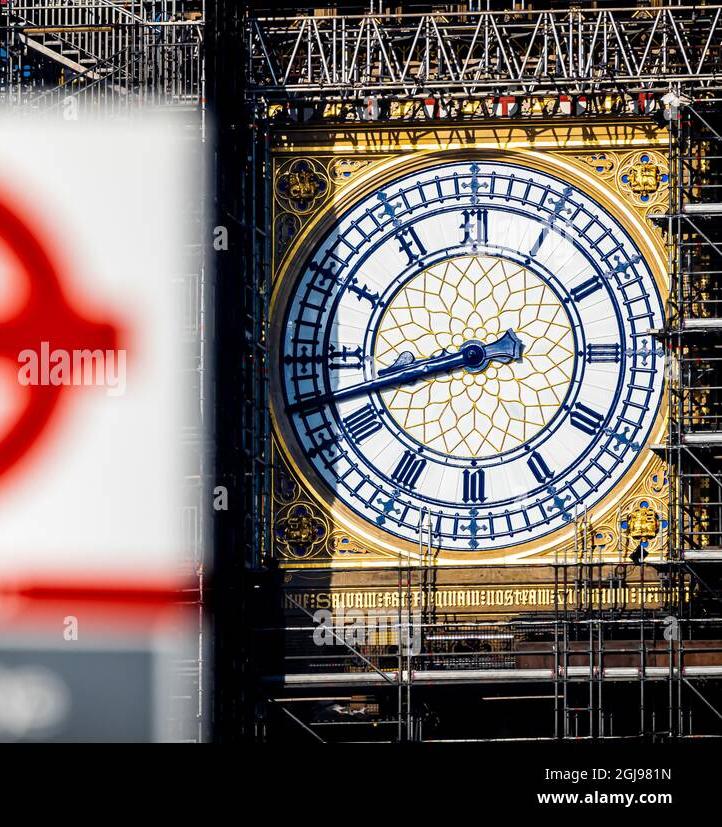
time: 8:42
